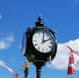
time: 2:01
